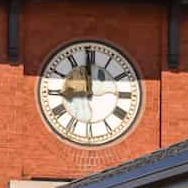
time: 8:59
